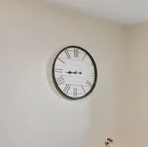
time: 8:44
